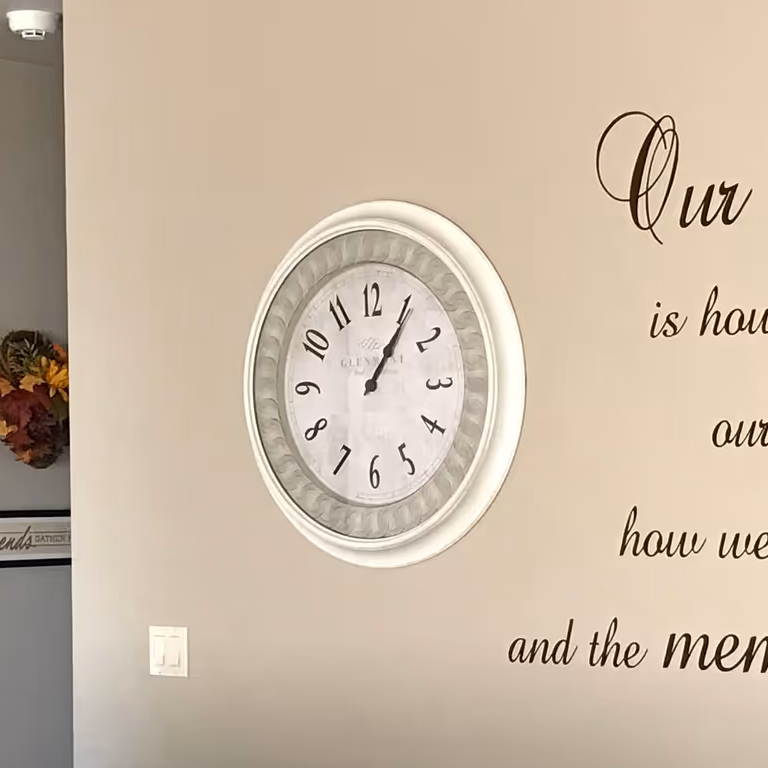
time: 1:05
